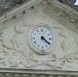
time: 4:21
